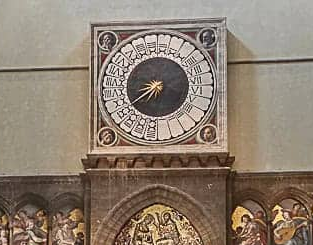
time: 8:39
